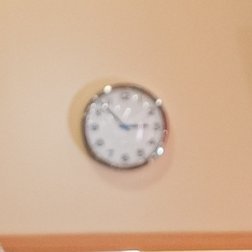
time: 2:53
